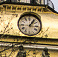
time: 1:16
